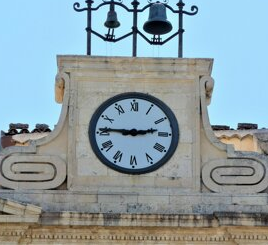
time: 2:45
